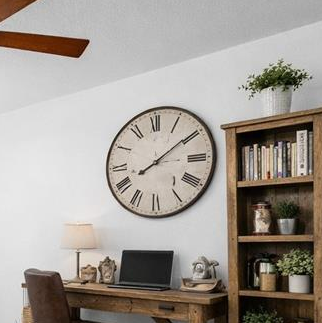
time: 8:09
